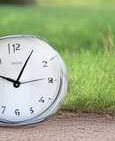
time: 10:05
